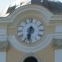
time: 6:32
